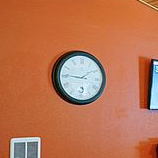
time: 9:09
